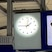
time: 1:45
